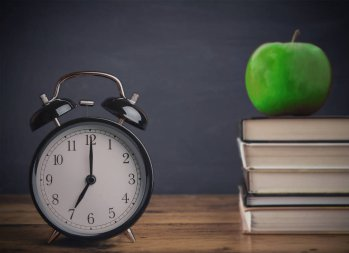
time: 7:00
